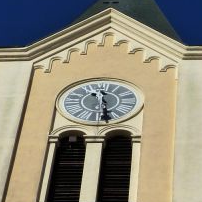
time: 11:28
